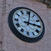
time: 3:01
